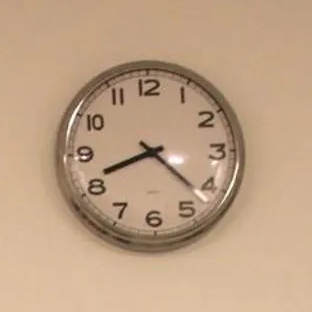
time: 8:21
